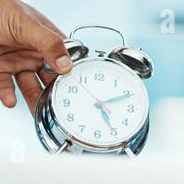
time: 5:11
